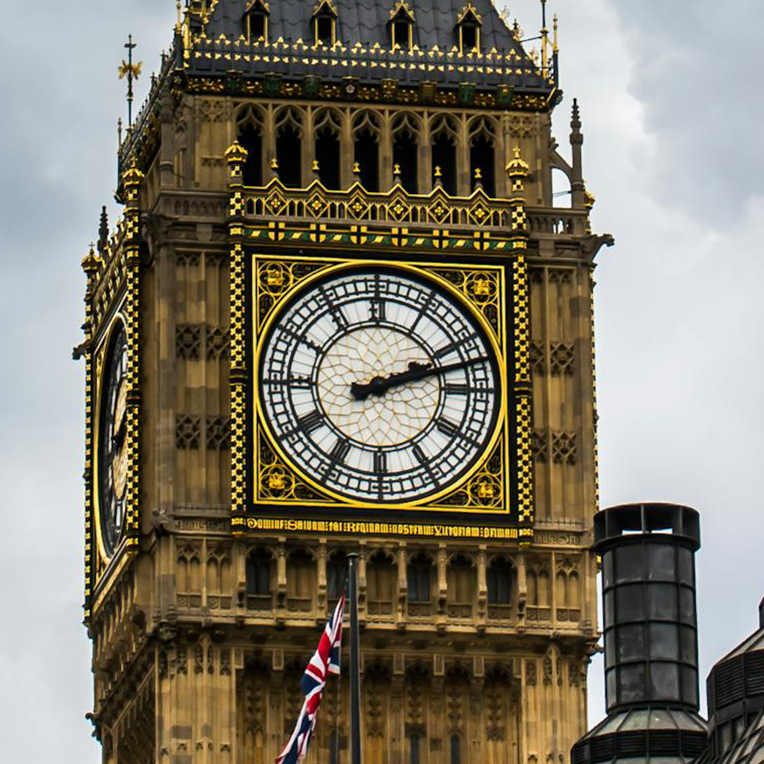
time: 2:12
